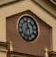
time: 11:35
